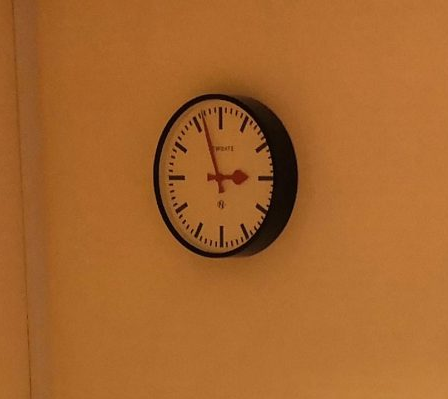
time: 2:56
